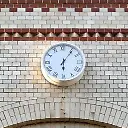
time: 6:06
